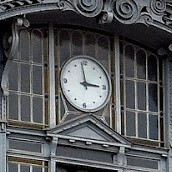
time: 2:58
